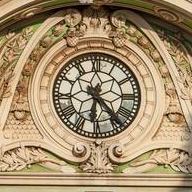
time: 6:23
